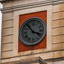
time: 3:53
